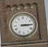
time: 3:14
